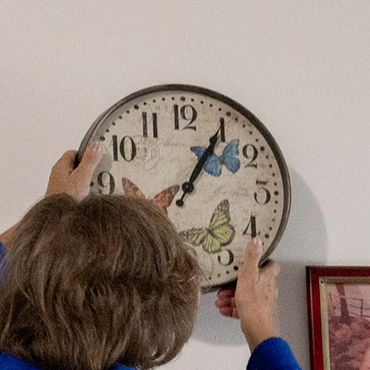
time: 1:05
